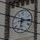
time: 6:15
